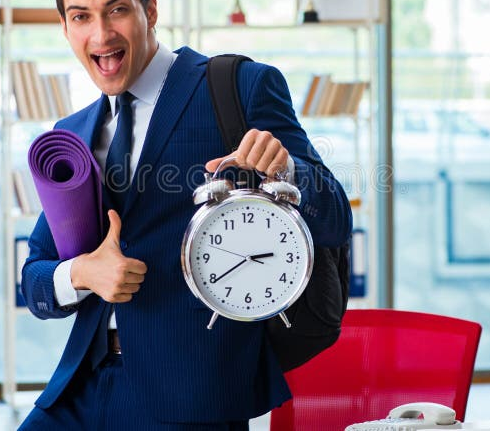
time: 2:39
